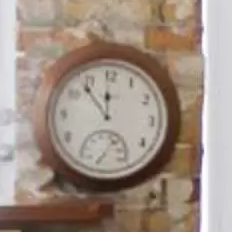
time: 11:53
